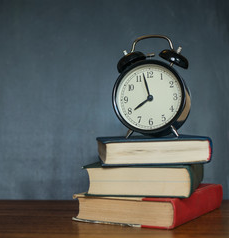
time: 7:57
